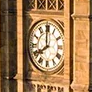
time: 7:59
